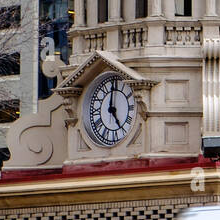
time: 5:00
